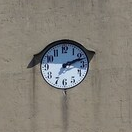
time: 7:11
